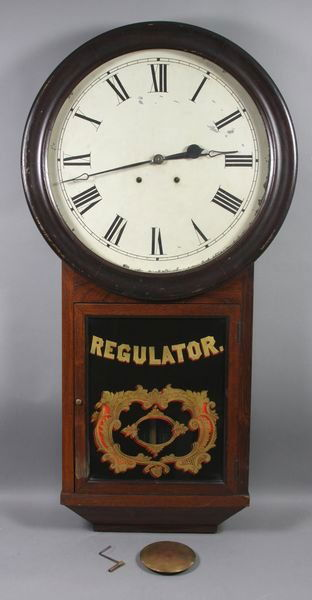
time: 2:42
